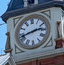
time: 2:42
